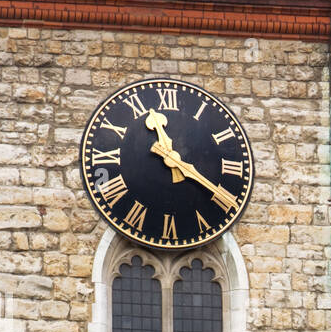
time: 11:19
